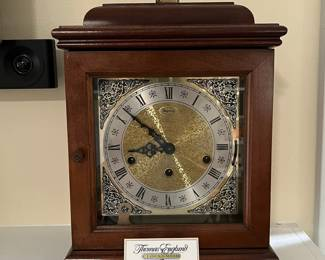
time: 8:51
